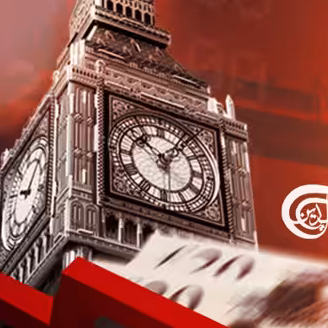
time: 10:06
